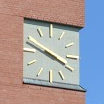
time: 3:48
